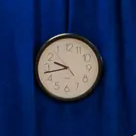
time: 9:42
